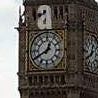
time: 12:40
